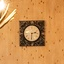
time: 2:29
